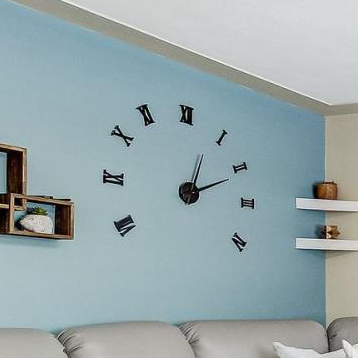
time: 2:03
